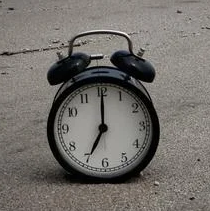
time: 7:00
